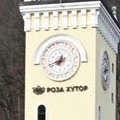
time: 6:40
